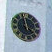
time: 3:58
